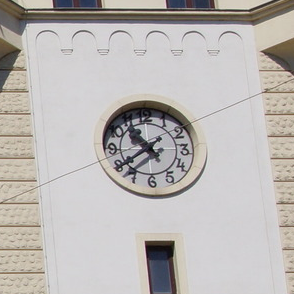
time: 10:39
